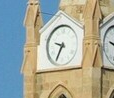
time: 9:34
